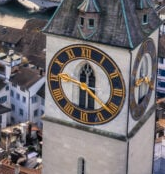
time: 12:30
